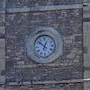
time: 12:51
